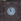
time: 8:57
